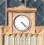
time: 4:22
